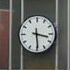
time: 3:29
